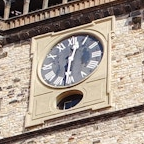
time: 12:30
